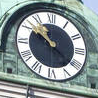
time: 10:21
